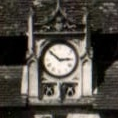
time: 2:52
